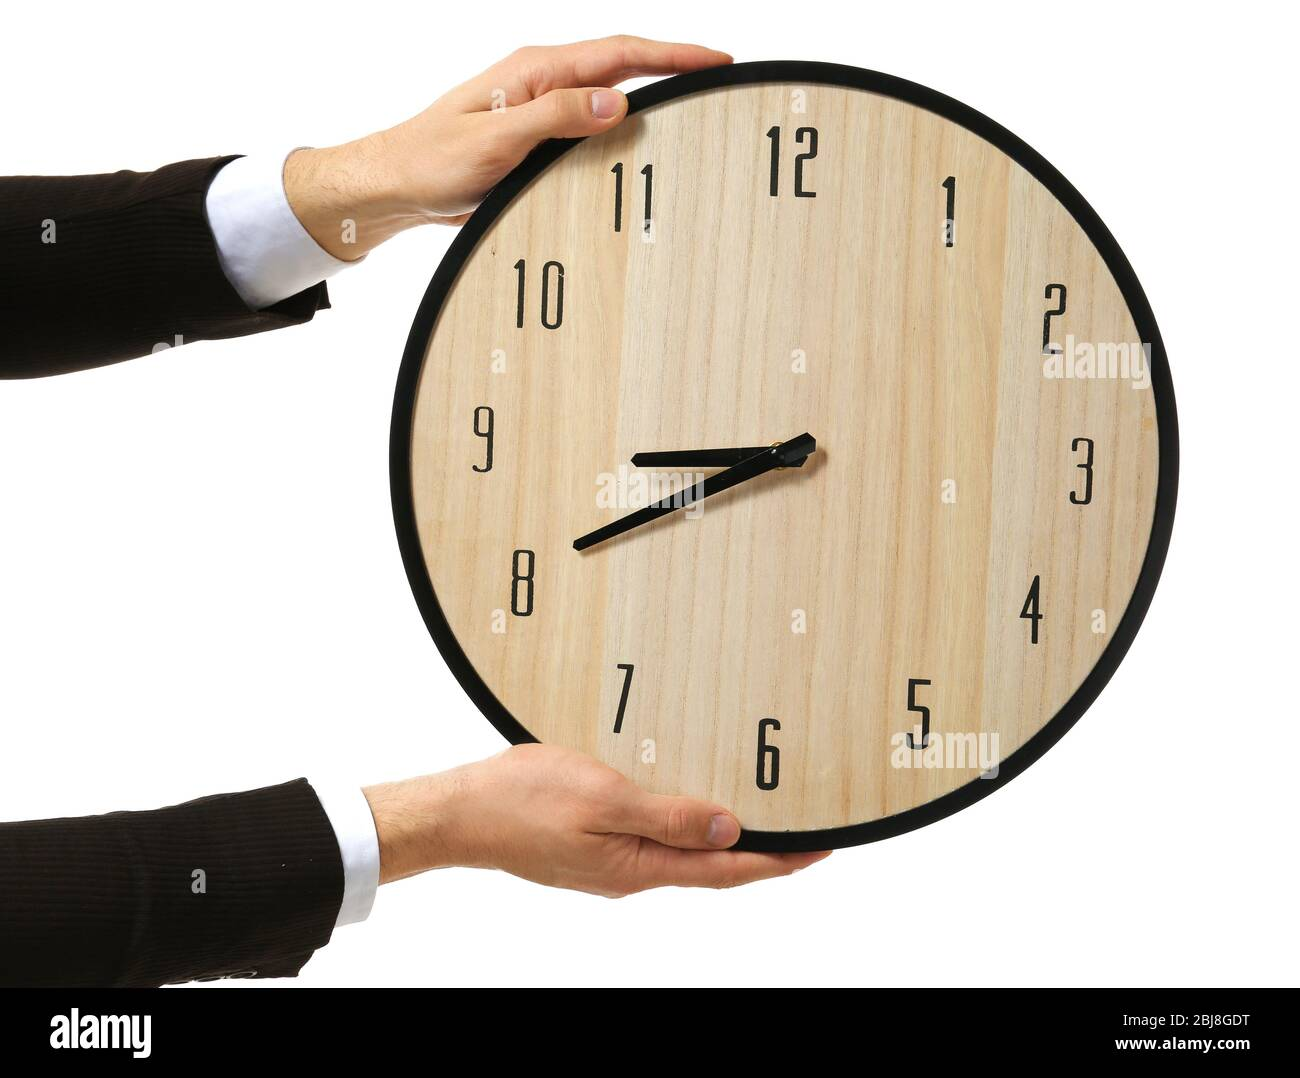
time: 8:40
